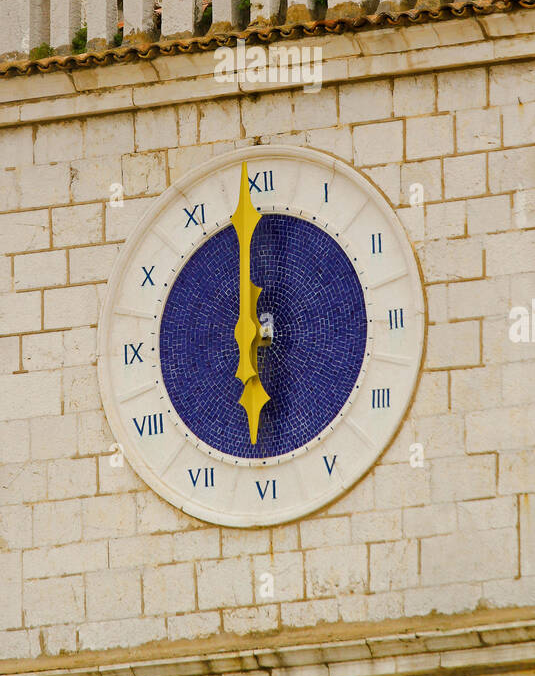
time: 5:59
